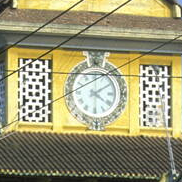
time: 4:09
